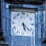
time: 5:21
